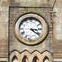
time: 3:21
